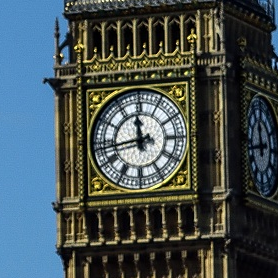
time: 11:43
